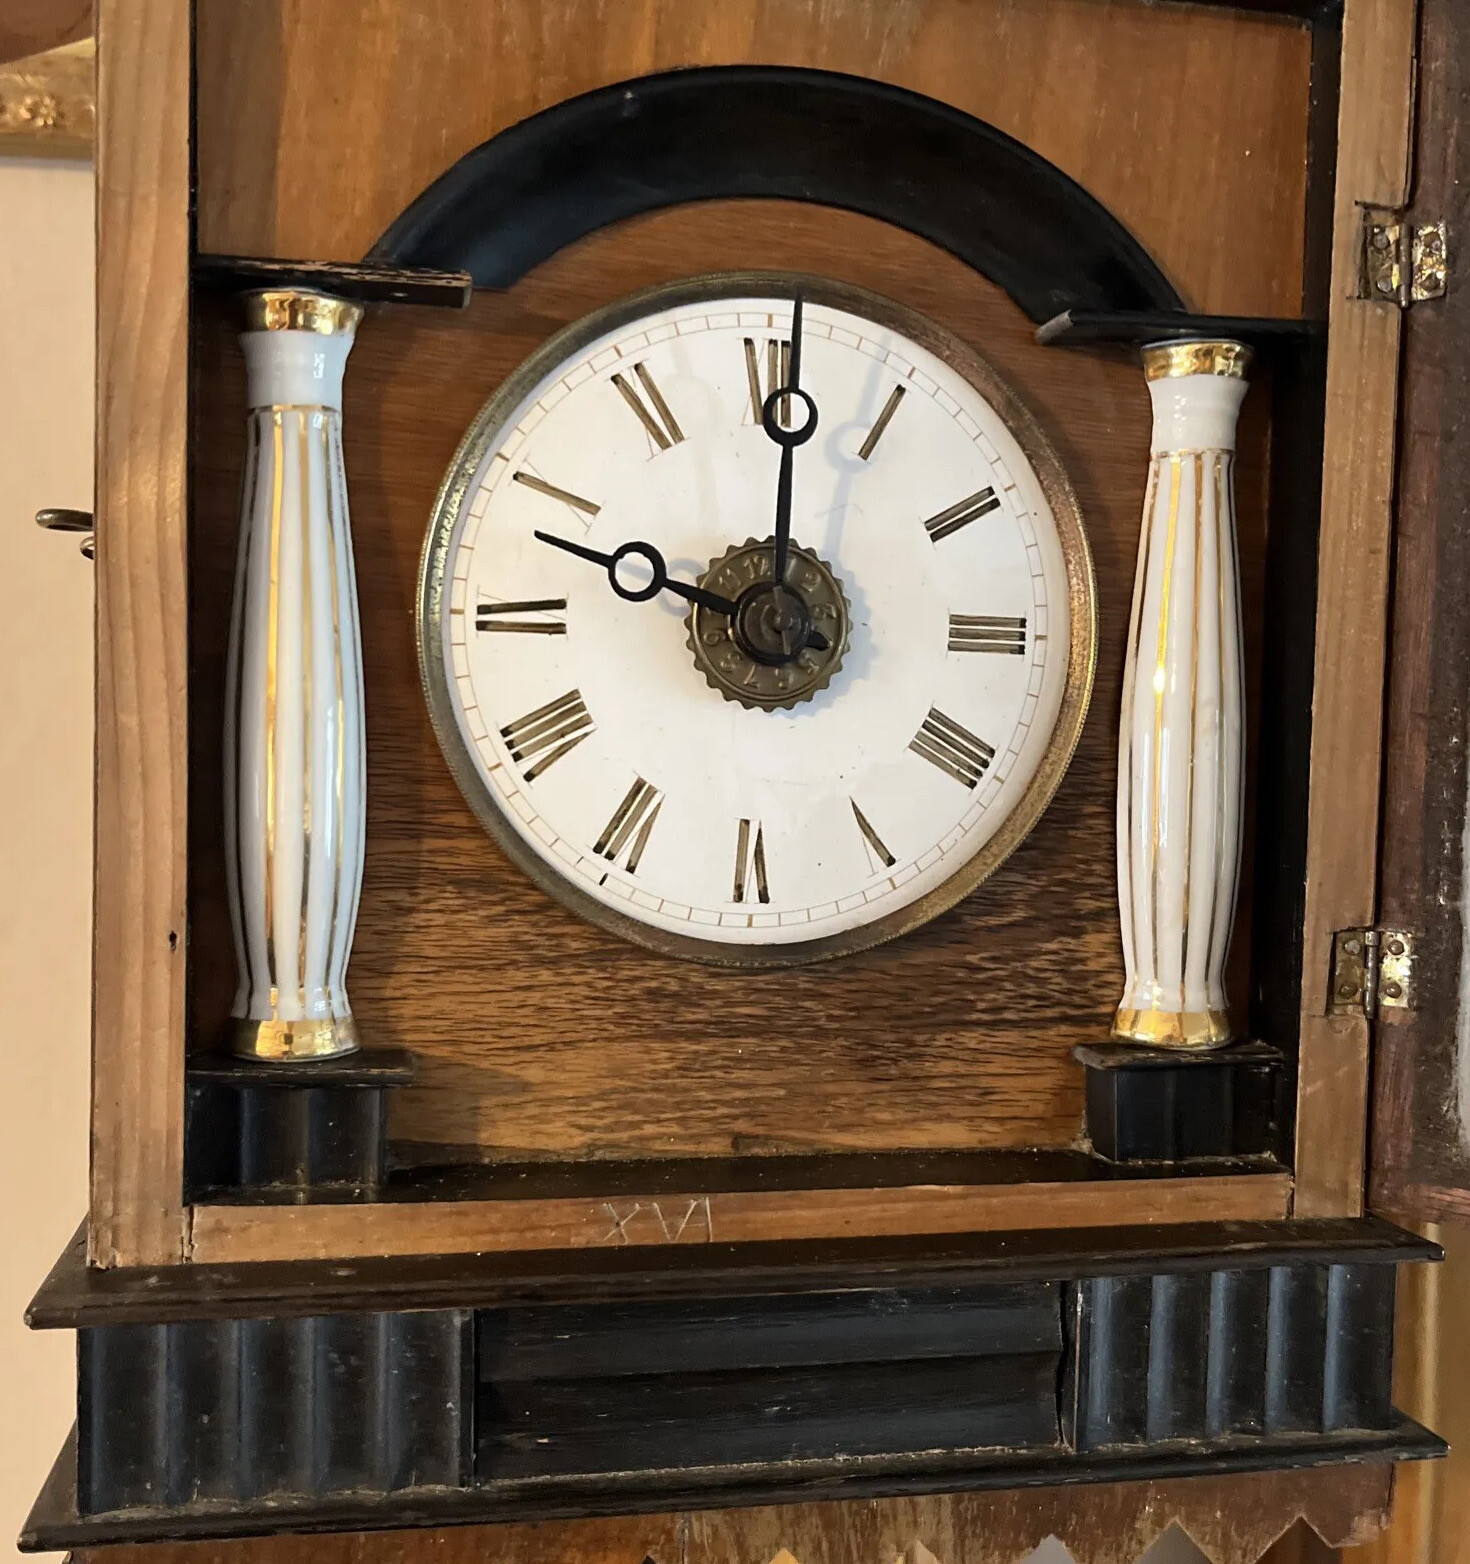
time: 10:00
